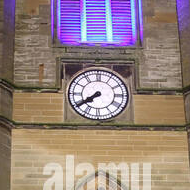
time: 7:39
